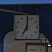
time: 7:00
